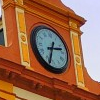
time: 2:33
